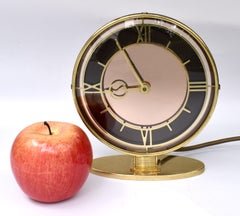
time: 8:55
